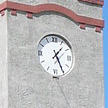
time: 1:25
